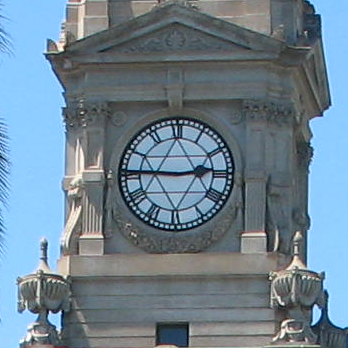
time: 2:45
